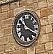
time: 10:19
